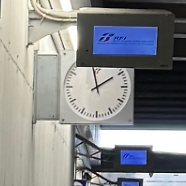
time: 1:58
